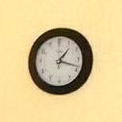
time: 1:18
